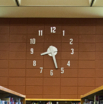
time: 8:27
